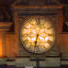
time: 6:32
